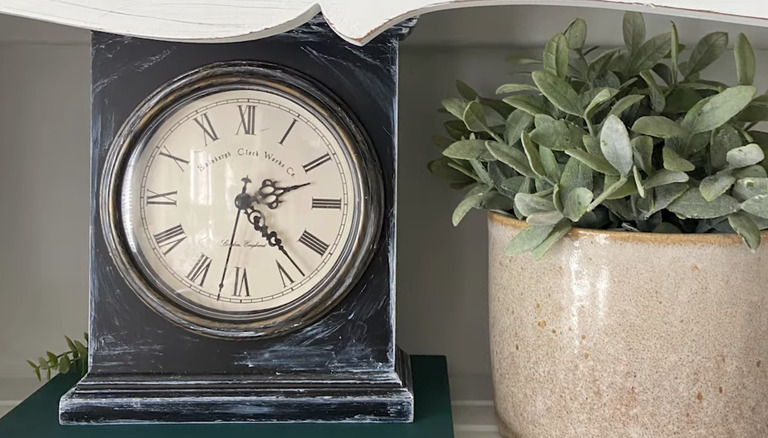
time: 2:23
